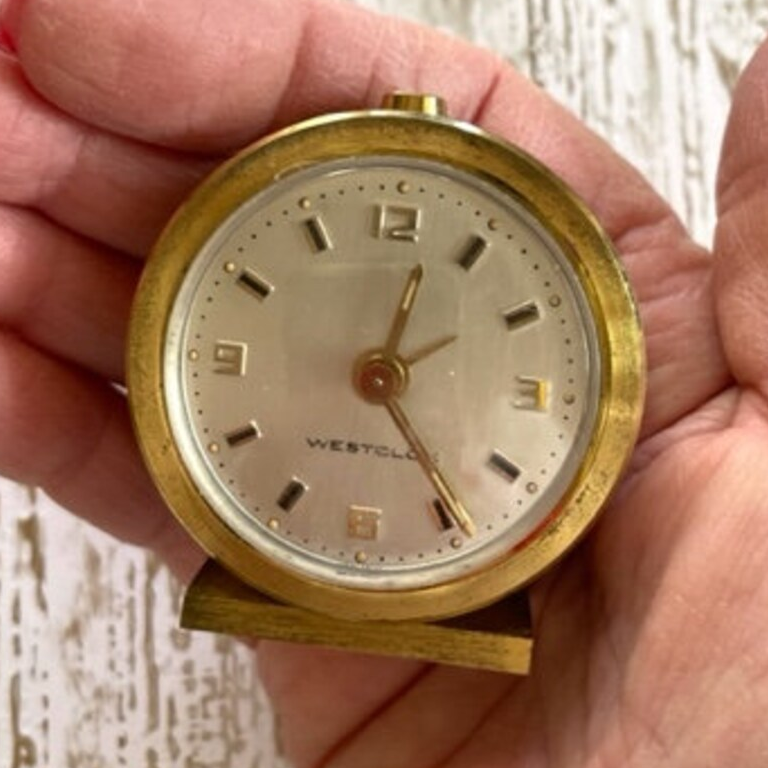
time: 12:23
